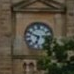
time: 6:48
